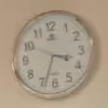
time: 3:33
